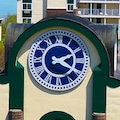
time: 2:19
